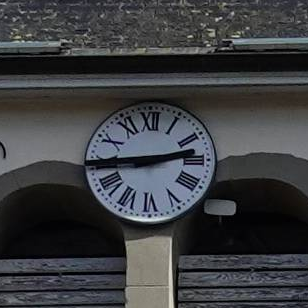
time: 2:44
